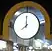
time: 7:59
